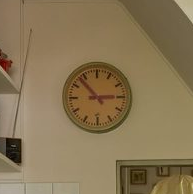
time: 2:53
